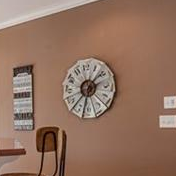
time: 1:32
